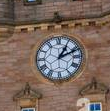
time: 1:11
